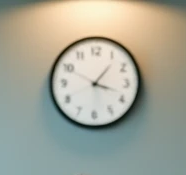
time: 1:18
